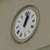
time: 1:02
